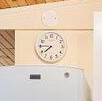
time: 7:45
